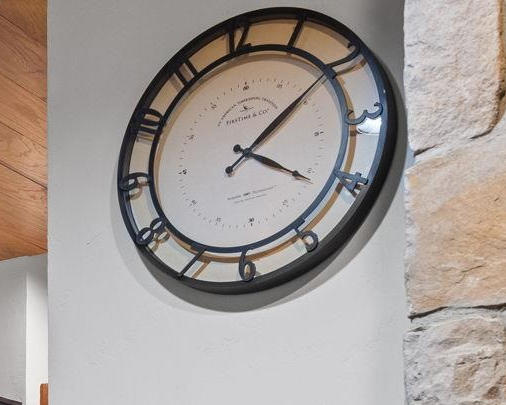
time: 4:09
